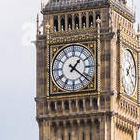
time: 1:21
